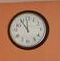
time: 10:59
